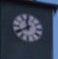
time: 11:39
